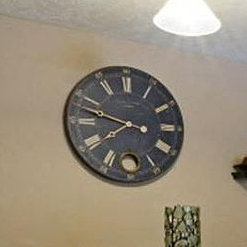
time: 7:47
